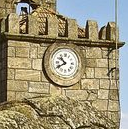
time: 10:40
